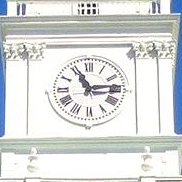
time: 11:13
